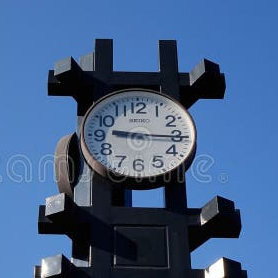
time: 9:15
